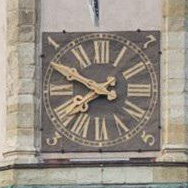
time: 7:49
